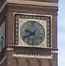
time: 9:40
